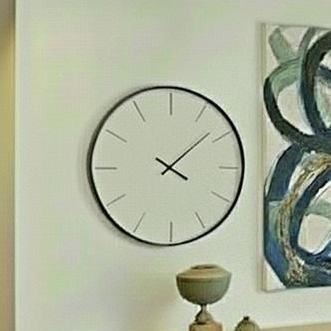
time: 4:08
